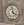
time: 3:58
